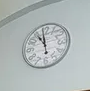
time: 10:58
